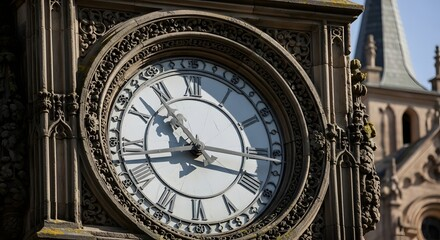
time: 10:42
